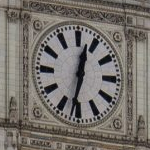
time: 12:32
